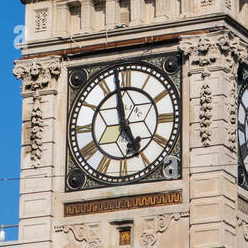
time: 4:58
